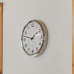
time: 1:47
